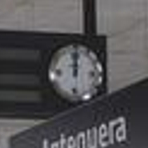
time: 12:00
